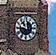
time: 11:46
